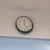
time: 12:23
